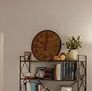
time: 10:00
